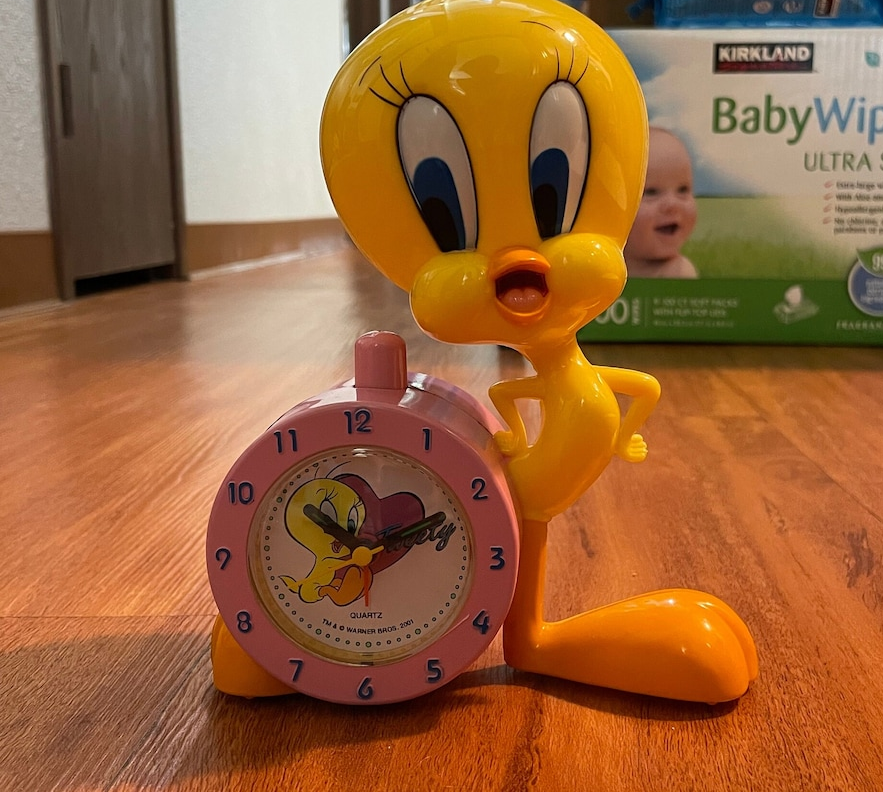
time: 10:11
